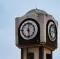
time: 6:00
